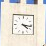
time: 4:16
